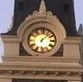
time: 6:07
